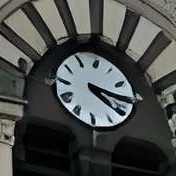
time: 4:16
